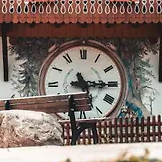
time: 5:15
